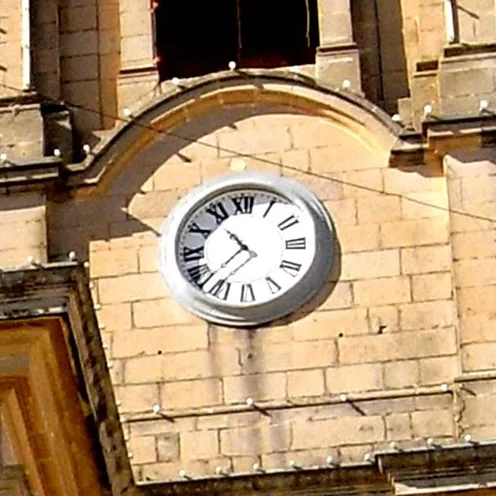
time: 10:38
